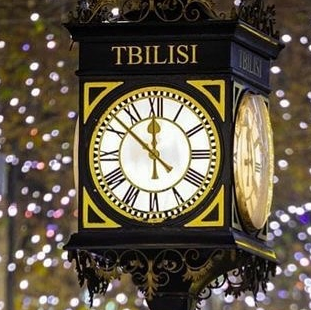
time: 11:51
